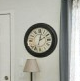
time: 2:01
